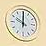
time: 10:00
